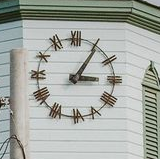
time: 3:05
